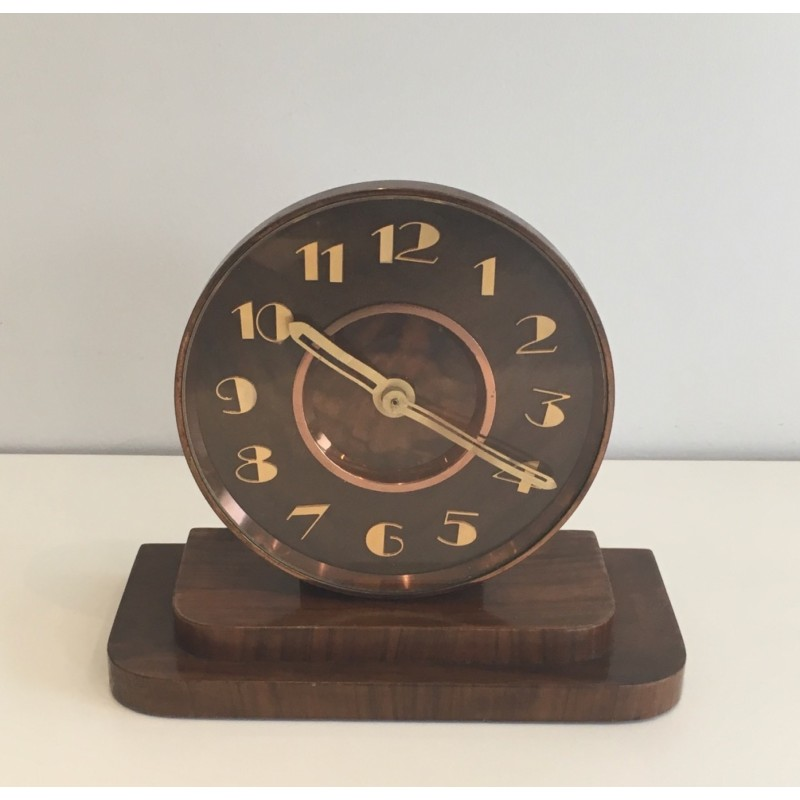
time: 10:19
